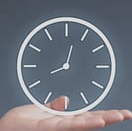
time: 8:02
